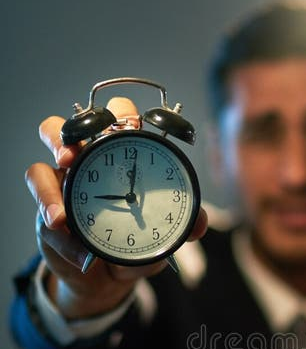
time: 9:01
